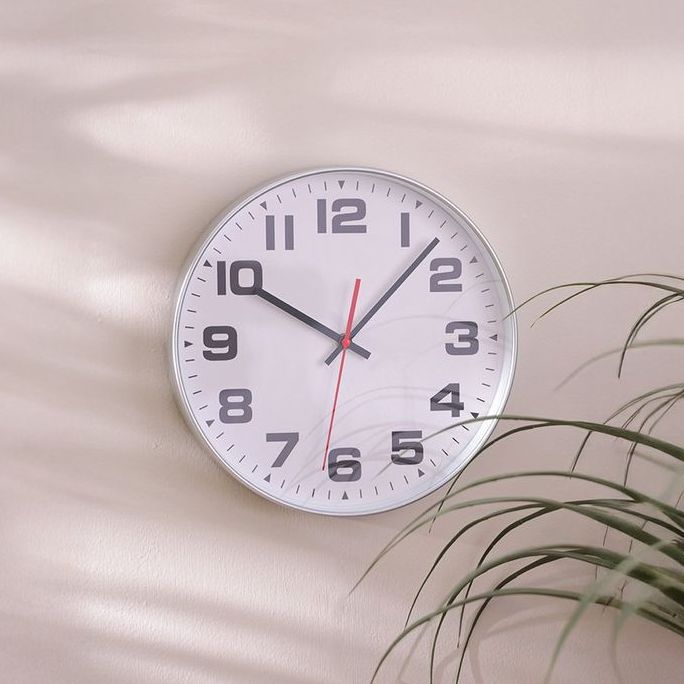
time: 10:07
